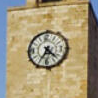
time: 4:34
